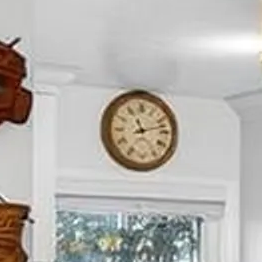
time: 11:12
